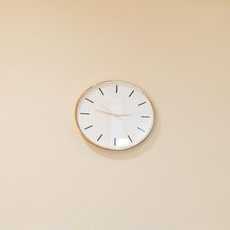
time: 2:47
